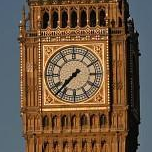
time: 7:37
